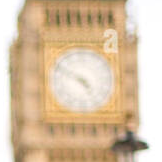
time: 4:49
